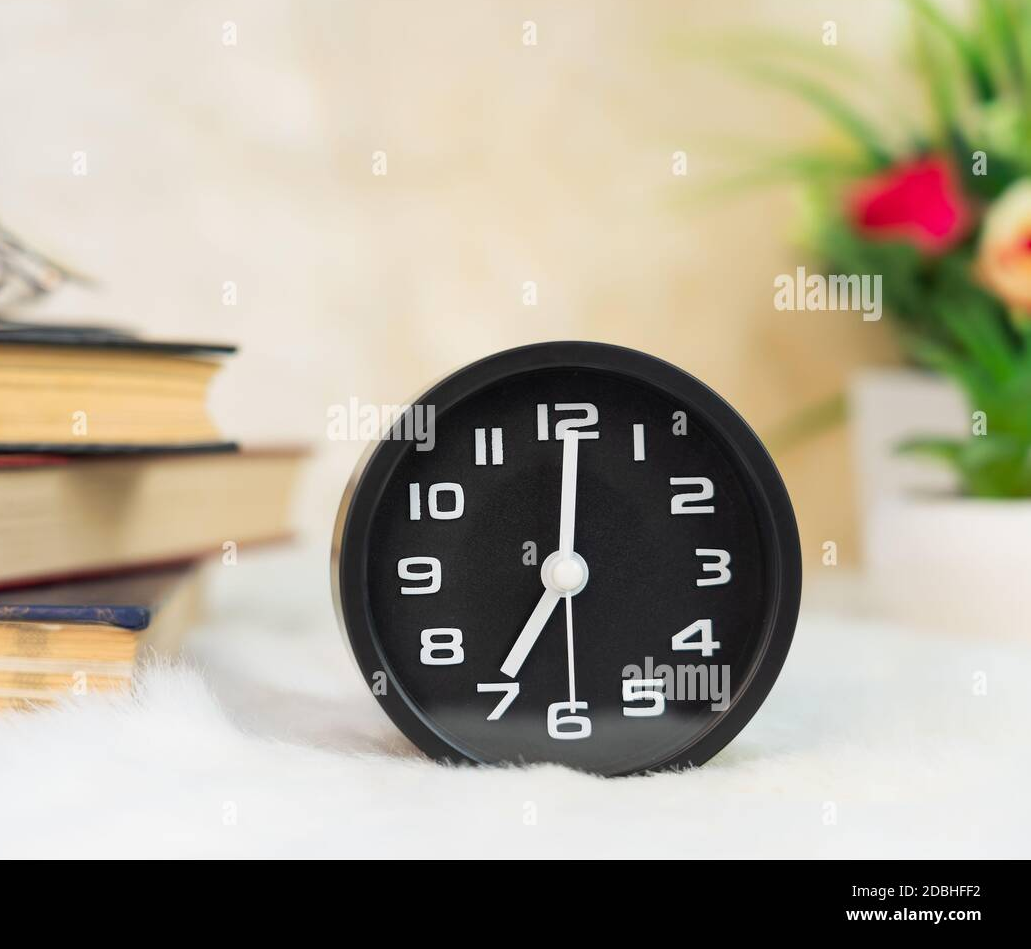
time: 7:00
